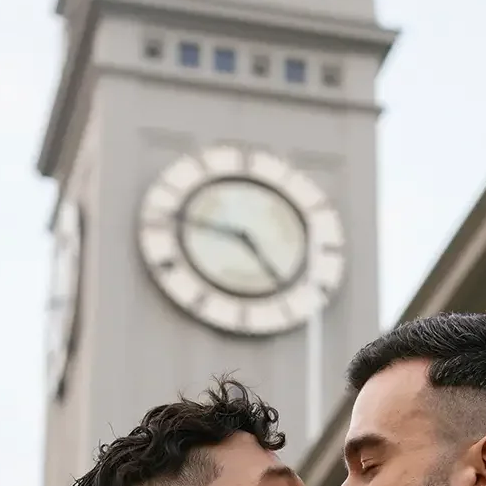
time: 4:46
